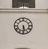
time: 5:30
